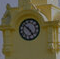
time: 4:51
